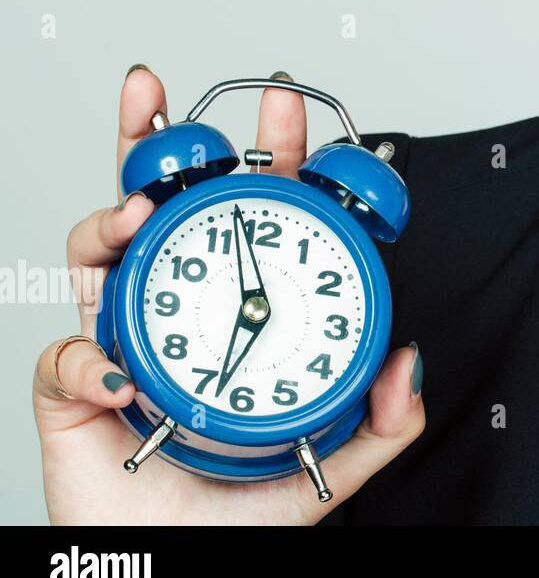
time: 11:32
